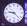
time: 9:22
